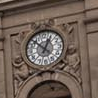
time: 12:52
